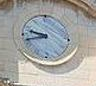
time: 9:42
